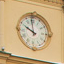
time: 9:58
